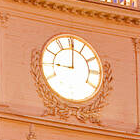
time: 9:00
